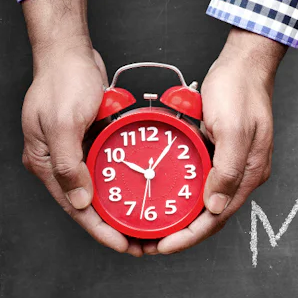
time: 10:06
